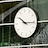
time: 10:15
